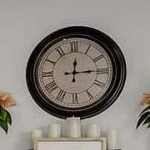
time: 12:14
